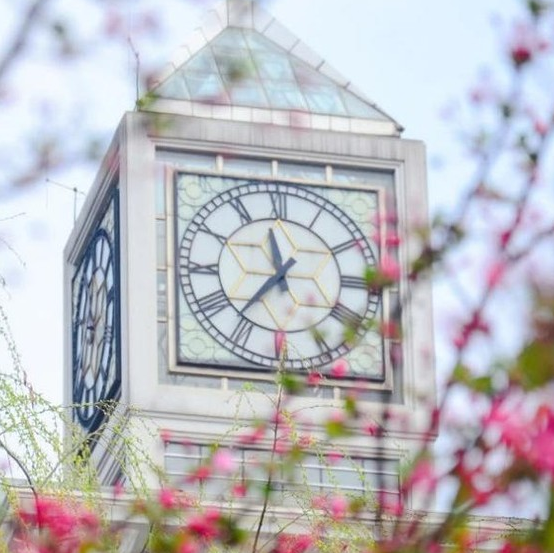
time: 11:36
